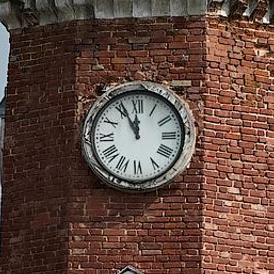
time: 11:55
